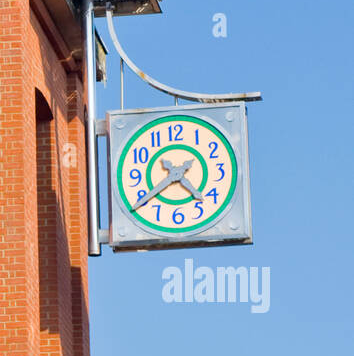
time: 4:39
